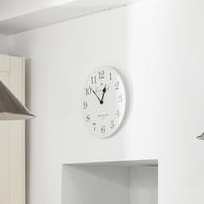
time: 12:51
